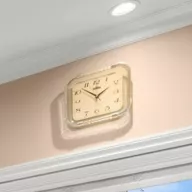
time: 1:52
